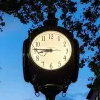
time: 8:45
